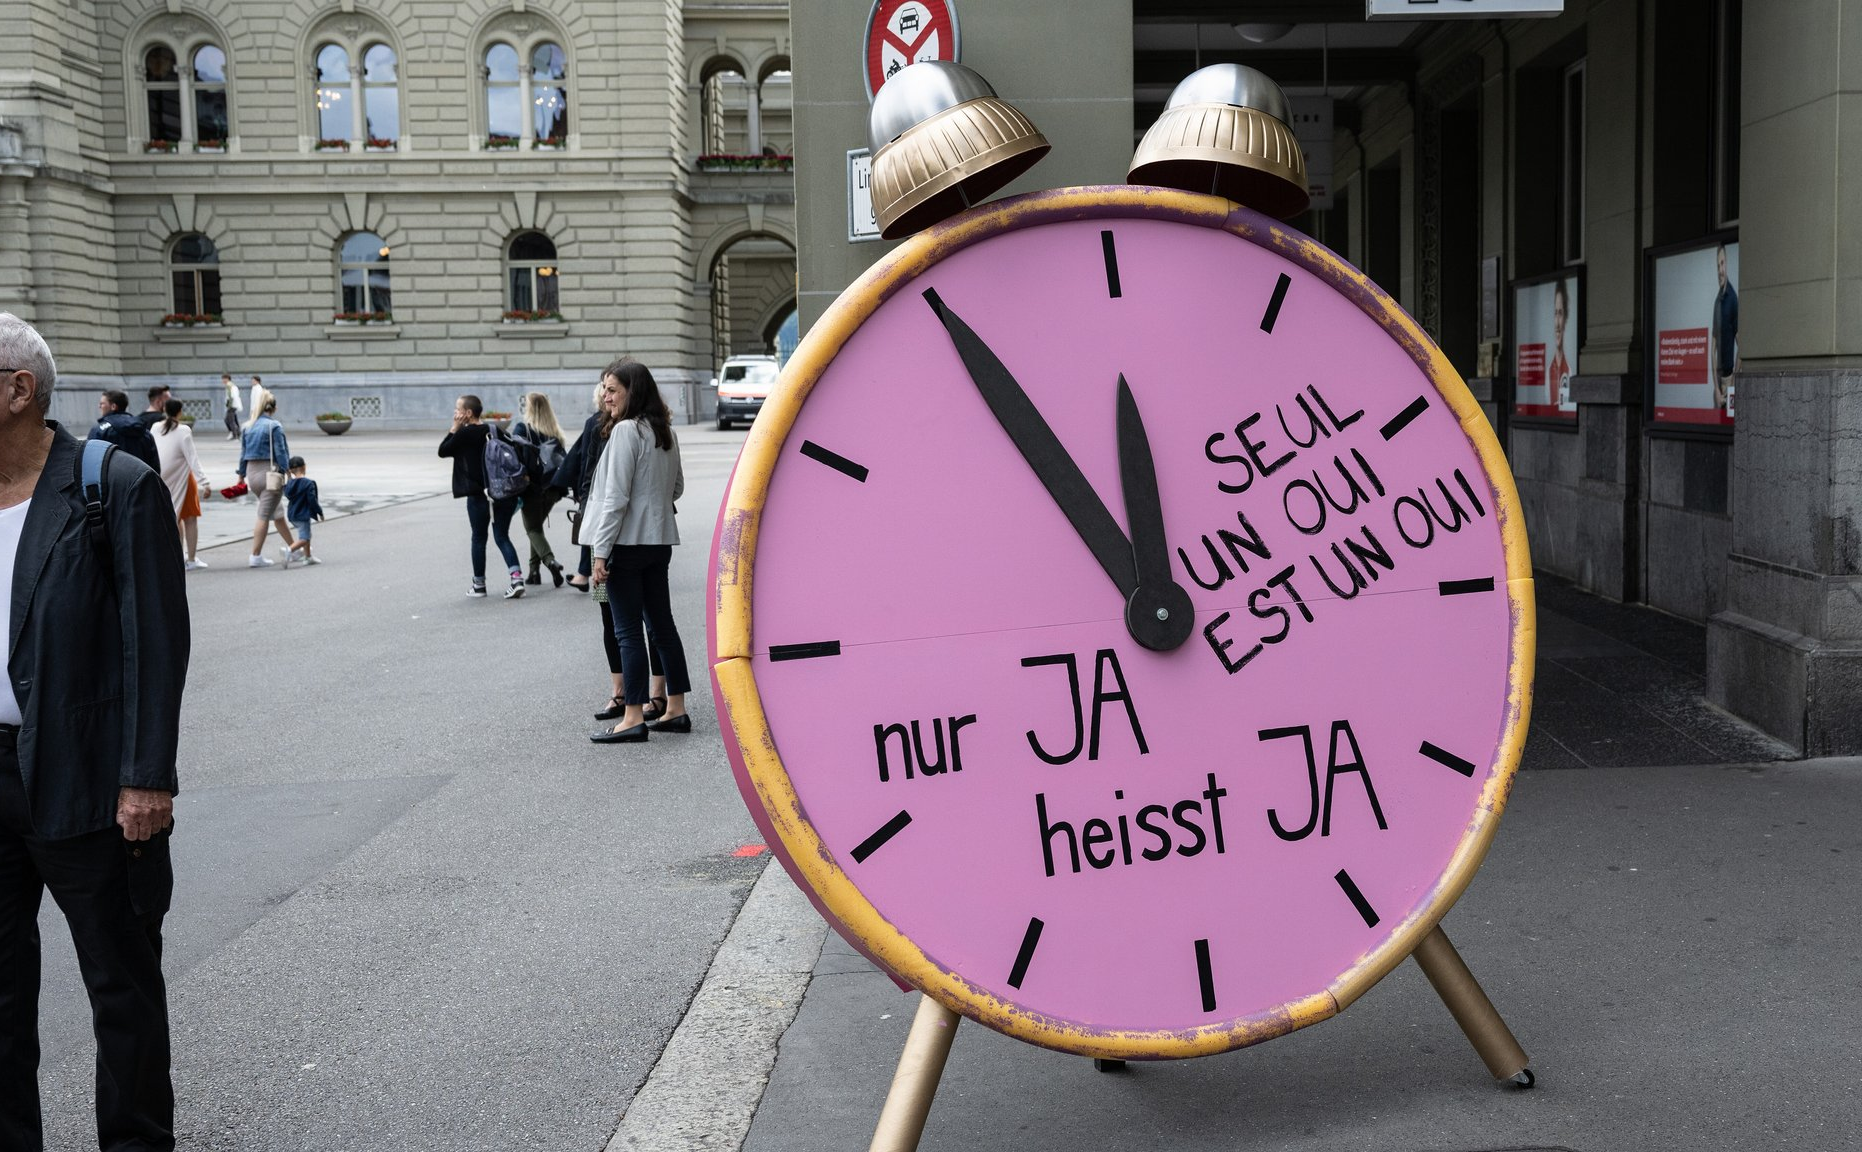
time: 11:54
